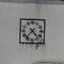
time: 4:36
